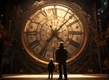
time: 7:07
